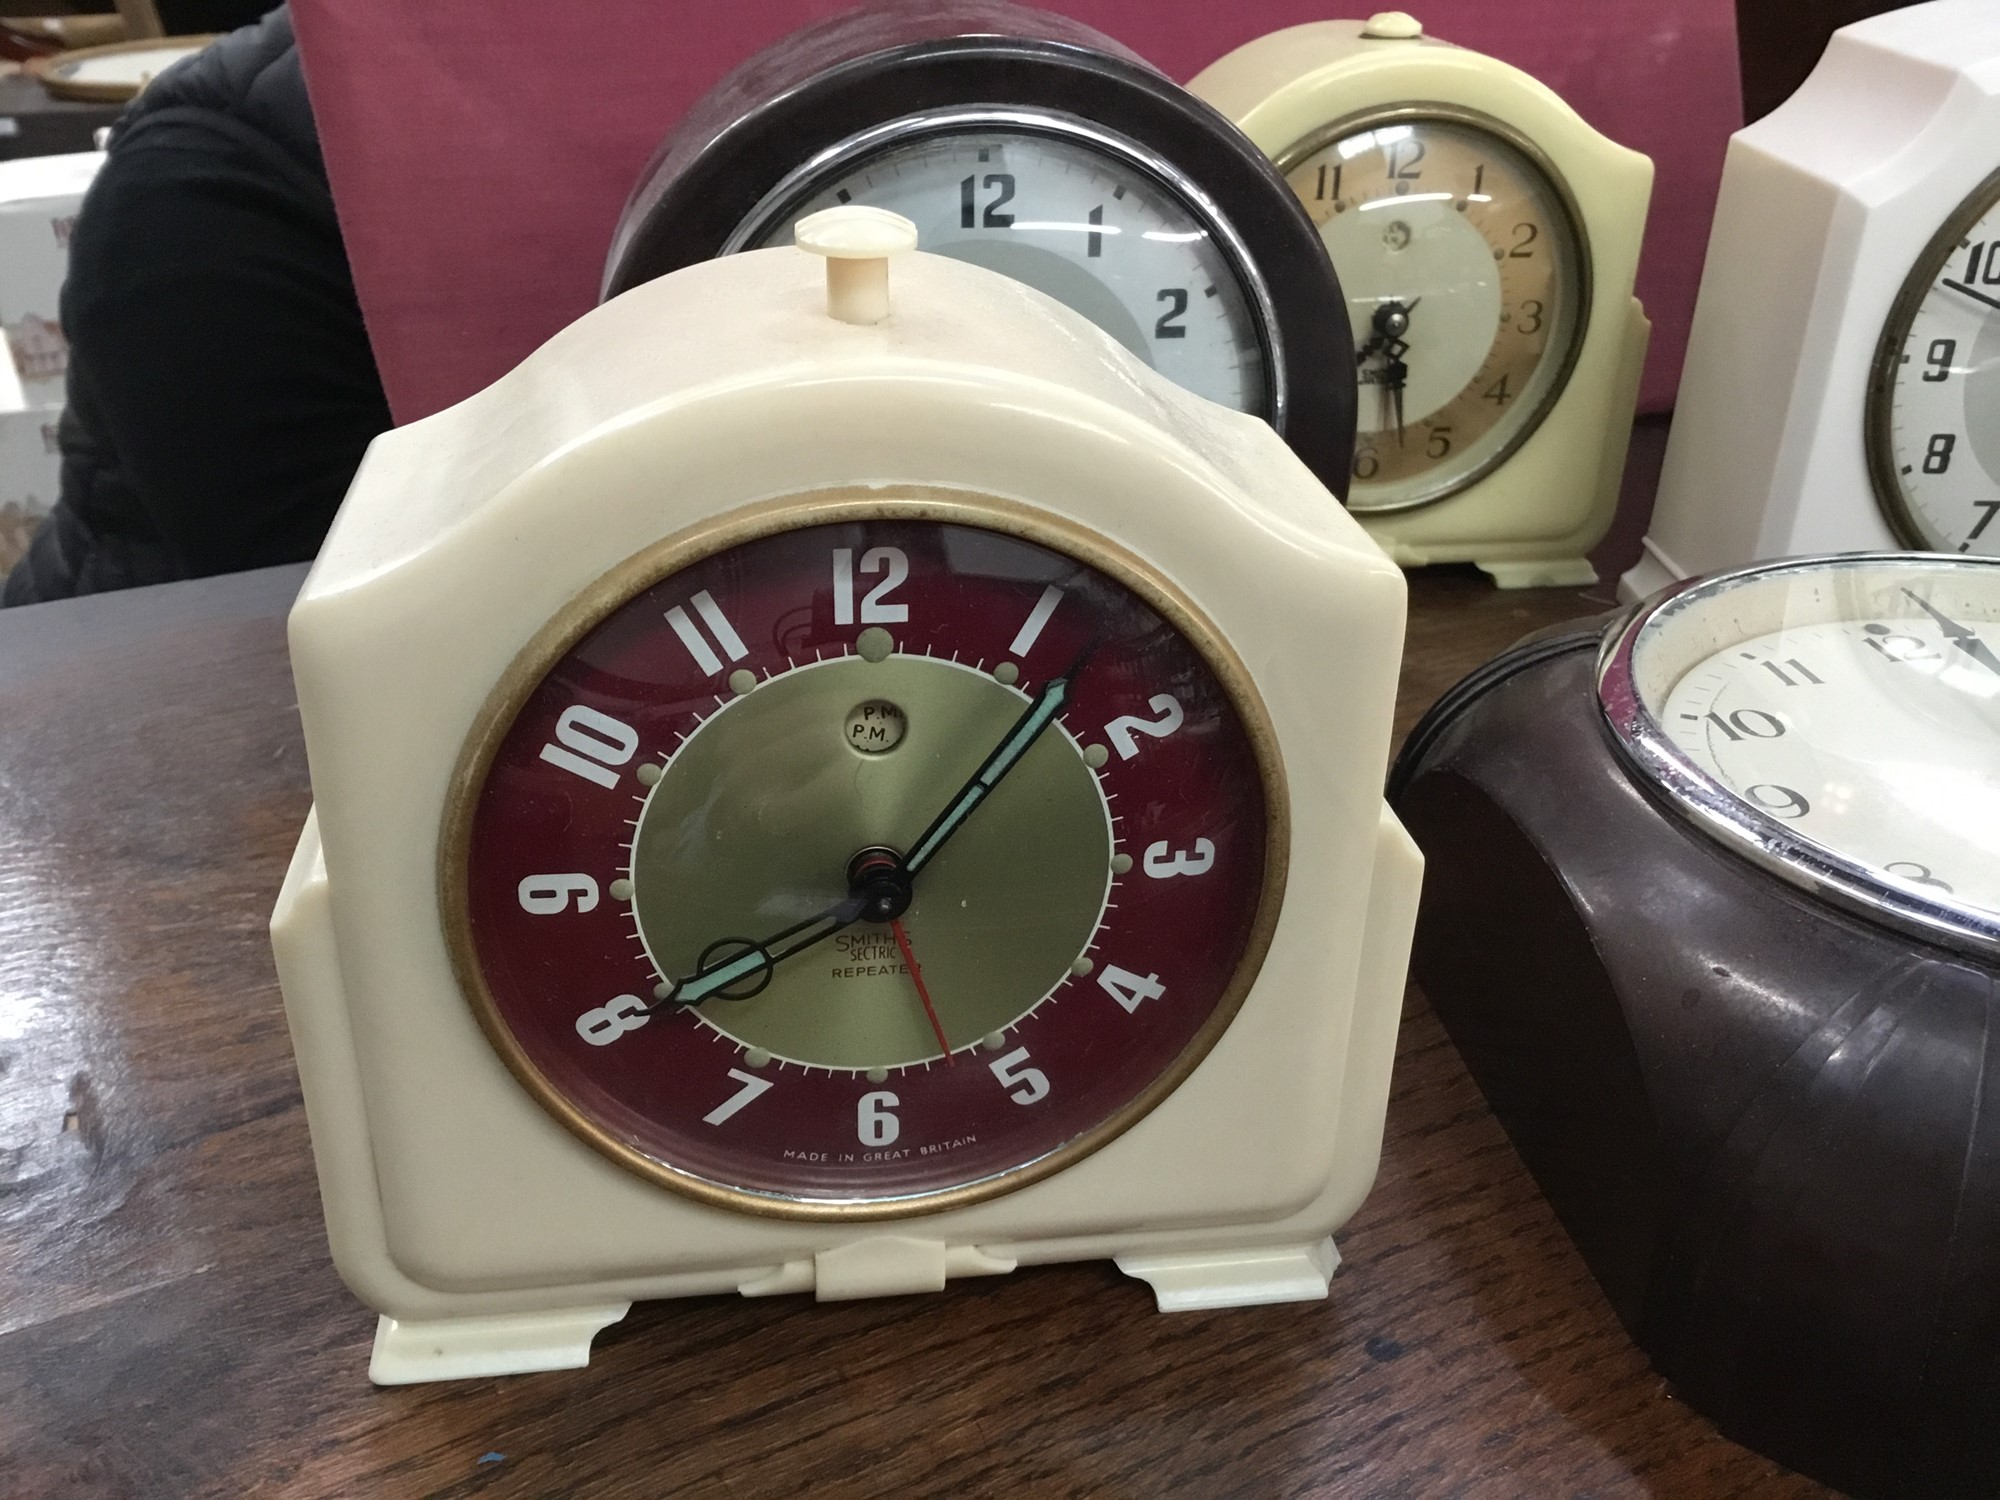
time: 8:06
